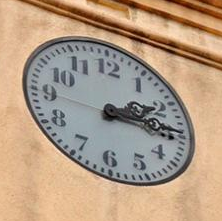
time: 2:14
